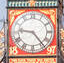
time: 9:23
